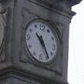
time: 10:24
